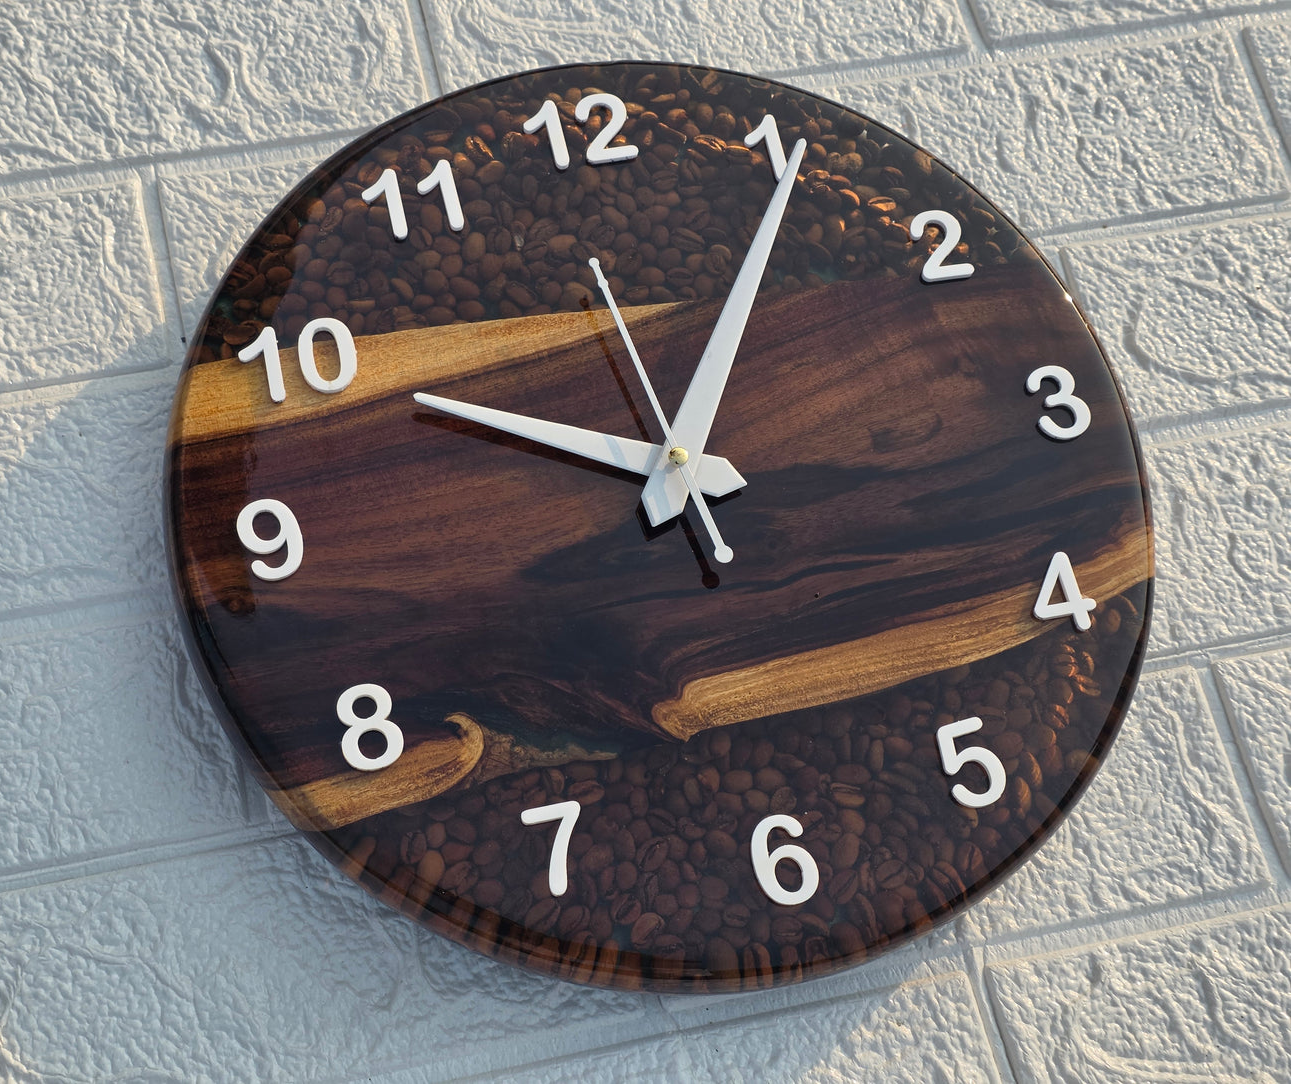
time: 10:05
